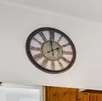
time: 1:59
